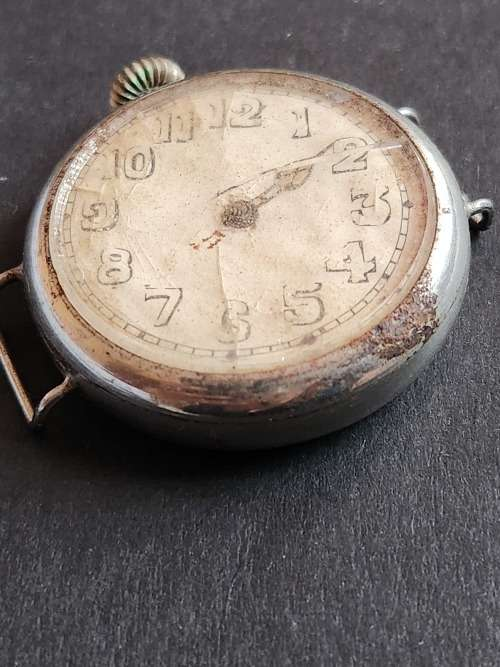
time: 2:08
